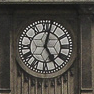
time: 5:02
